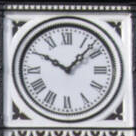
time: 10:07
